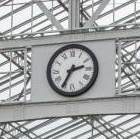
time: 2:35
